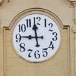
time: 11:45
